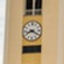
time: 8:20
